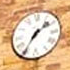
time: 1:35
